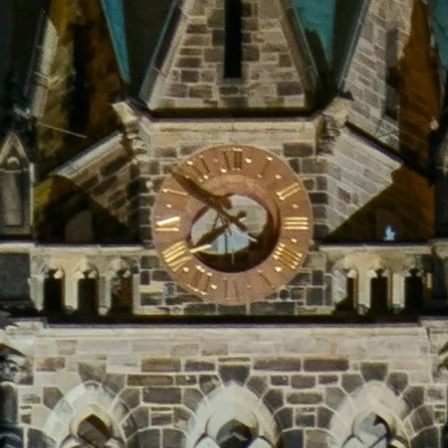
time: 7:51
